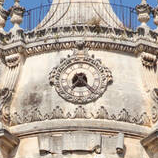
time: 7:23
